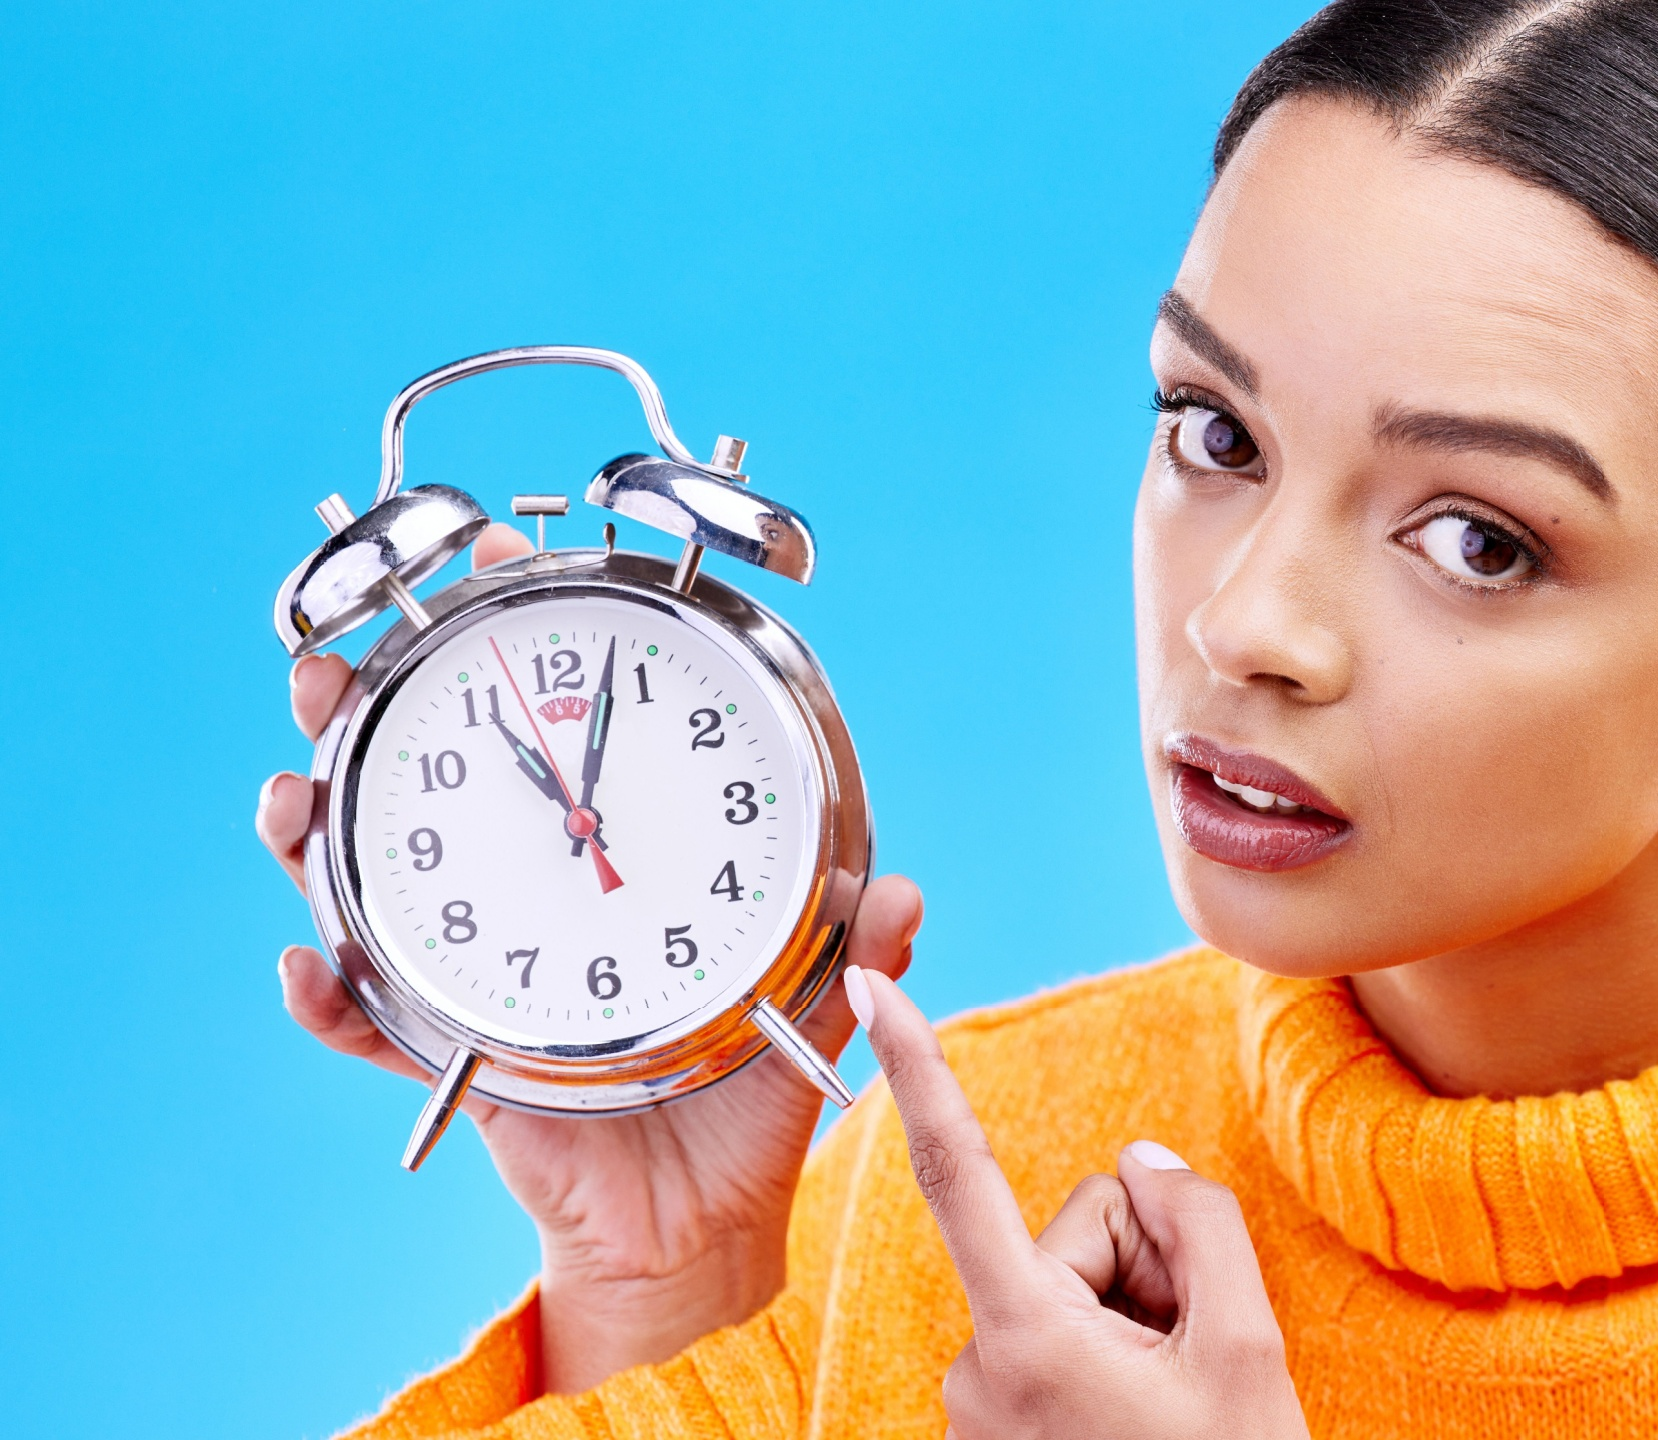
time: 11:03
